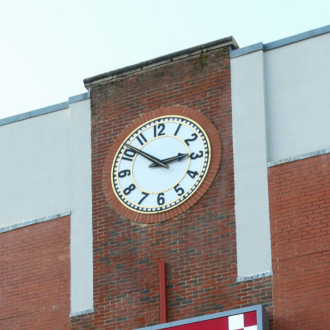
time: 2:51
